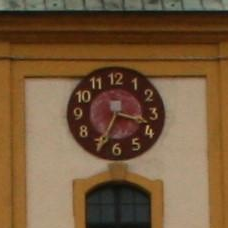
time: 3:34
